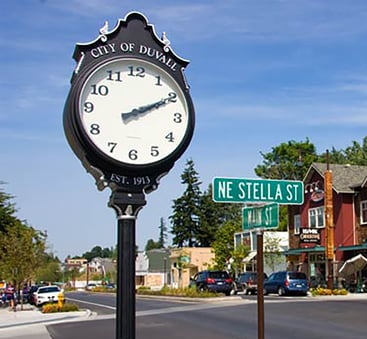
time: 2:10
